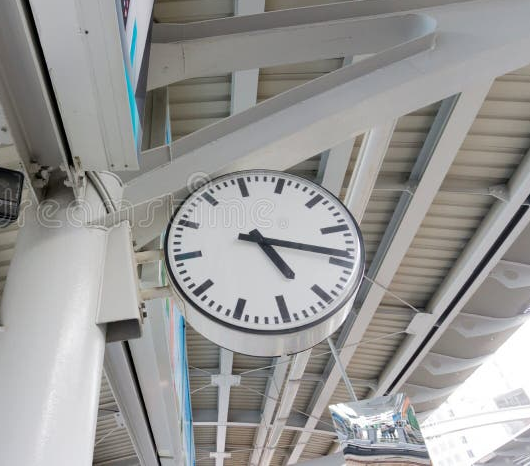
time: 5:18
